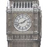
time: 1:42
